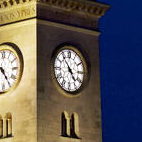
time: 4:54
